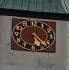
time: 5:23
